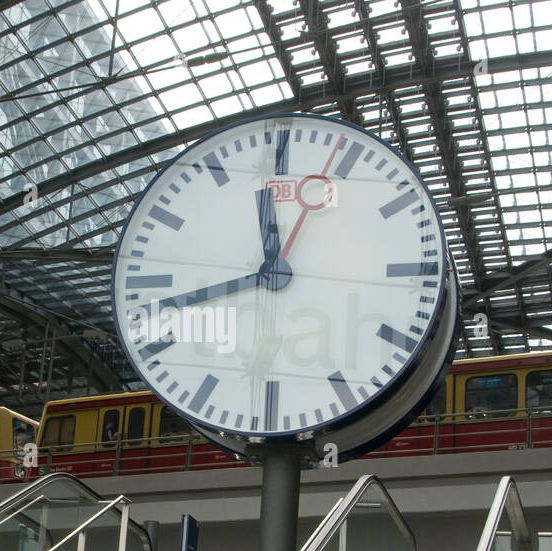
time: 11:42
